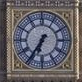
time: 6:35
